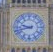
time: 9:42
